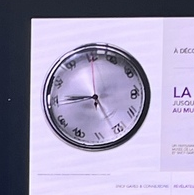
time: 8:45
